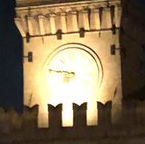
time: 8:47
